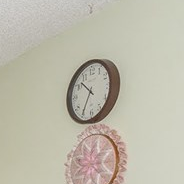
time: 10:35
